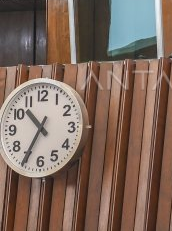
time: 10:35
